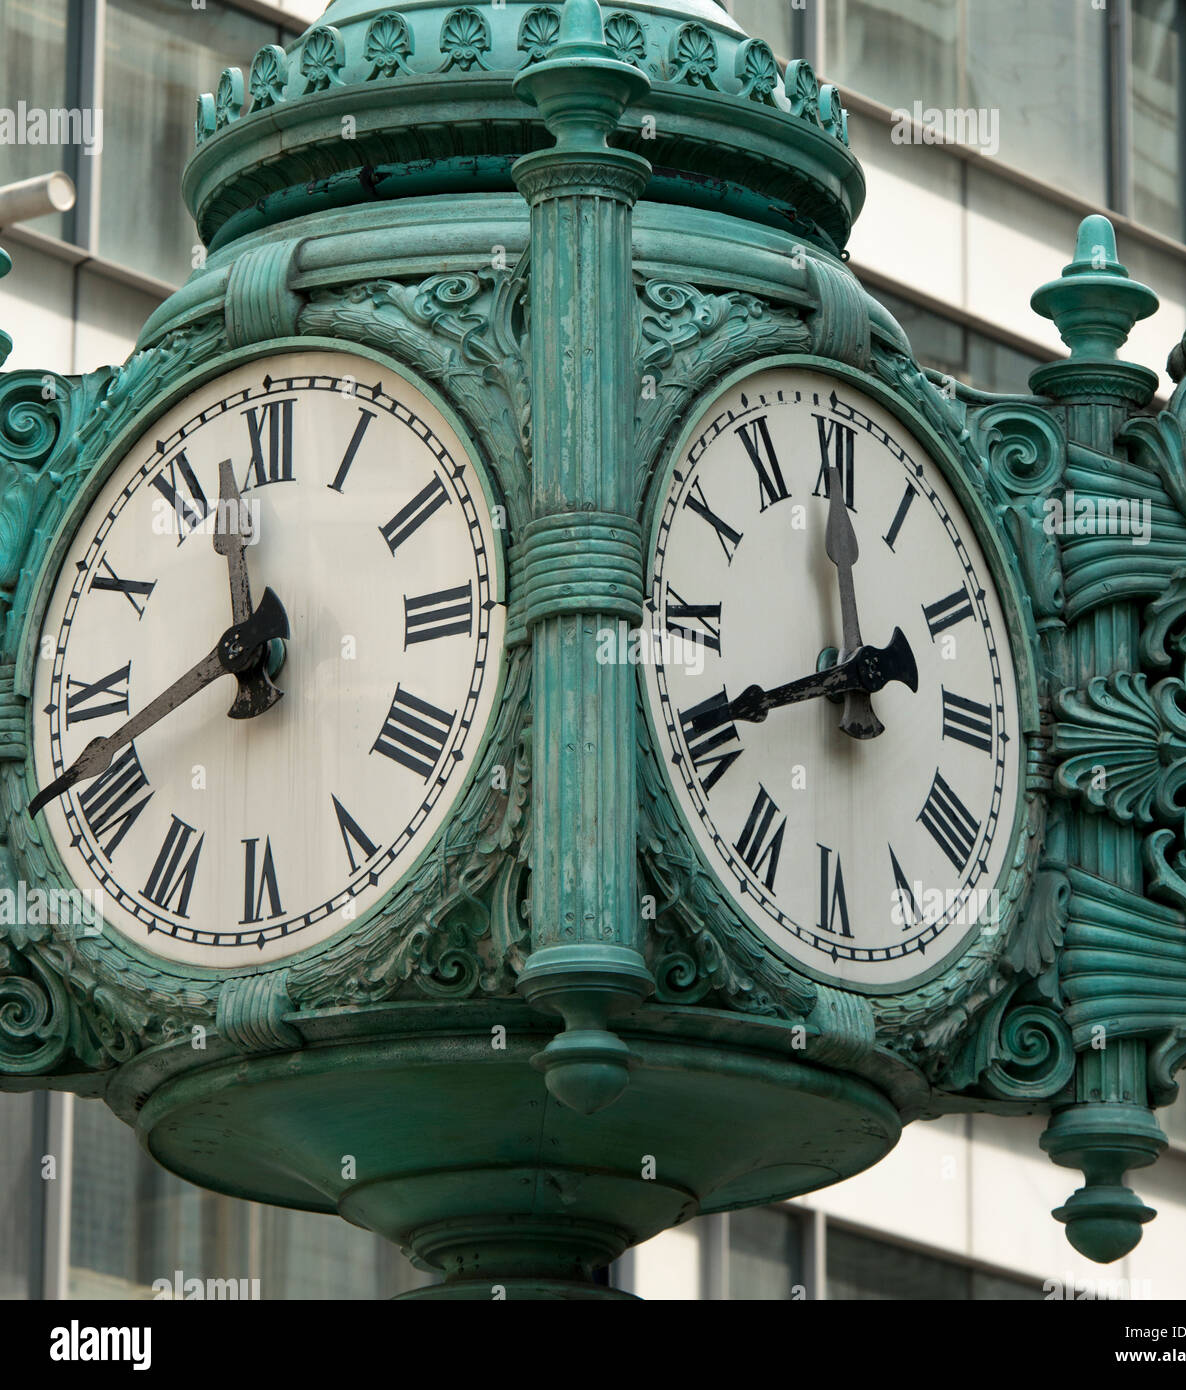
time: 11:41
